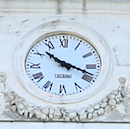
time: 10:18
